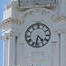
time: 4:32
